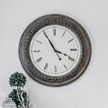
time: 3:55
